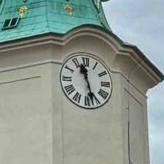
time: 11:27
